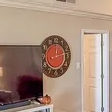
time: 8:12
